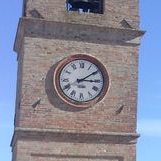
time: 3:09
